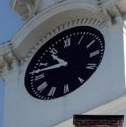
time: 10:47
